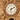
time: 6:10
